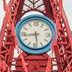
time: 5:43
